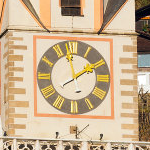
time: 1:57
